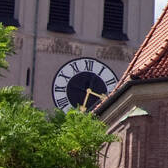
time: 3:32
